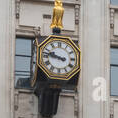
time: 9:47
